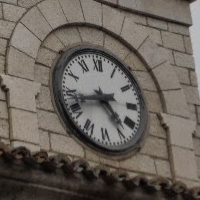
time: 4:42
